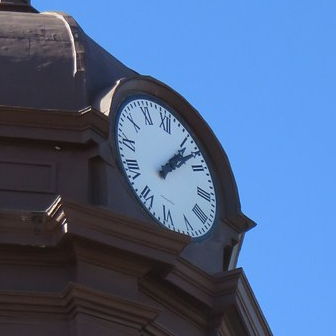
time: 1:07
